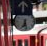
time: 6:28
